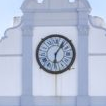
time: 6:05
